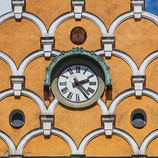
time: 2:23
